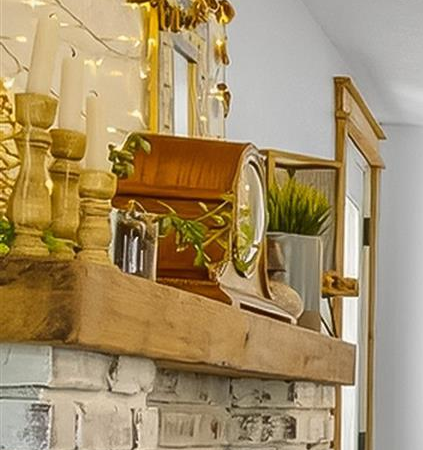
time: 2:45
